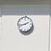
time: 1:42
